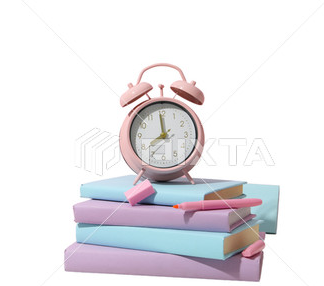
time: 7:59
